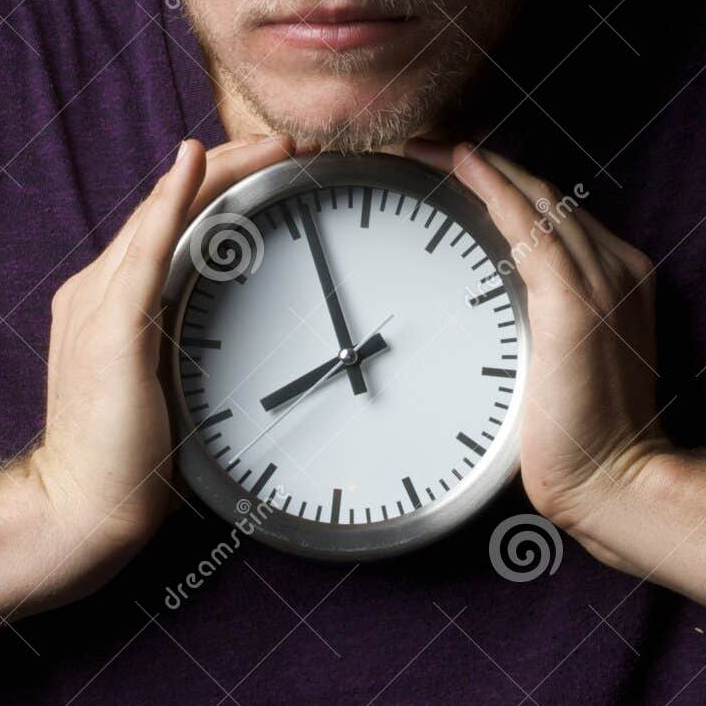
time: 7:55
